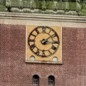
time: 3:08
